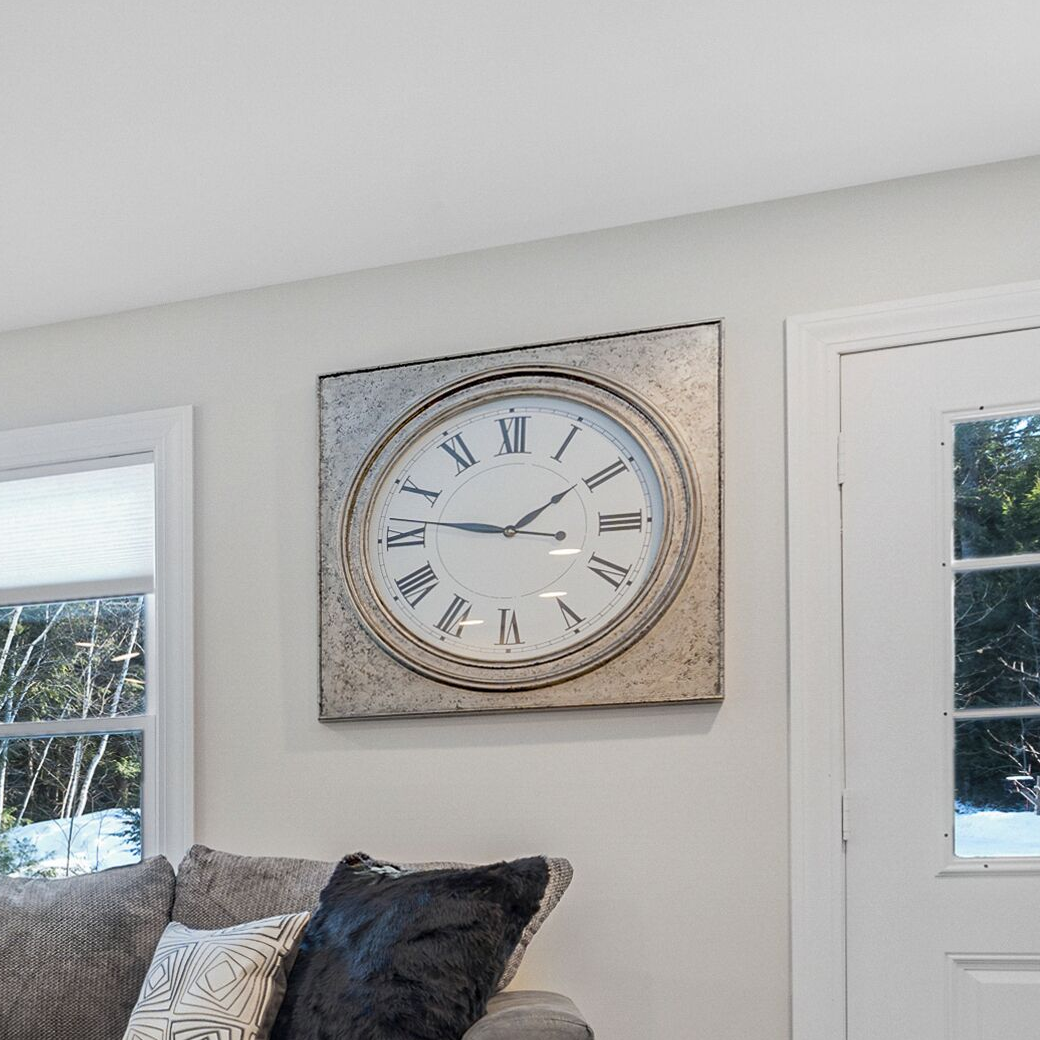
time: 1:46
